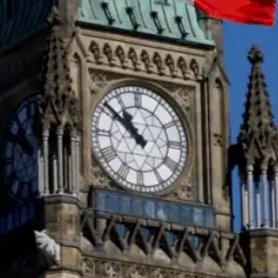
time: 10:51
